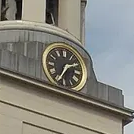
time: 1:34
